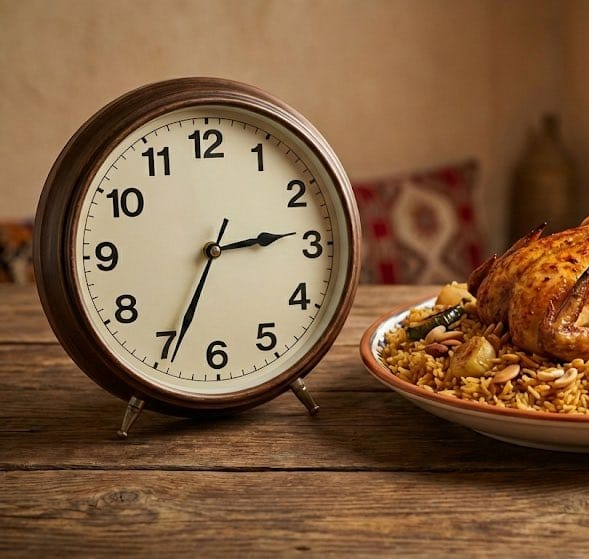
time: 2:34
